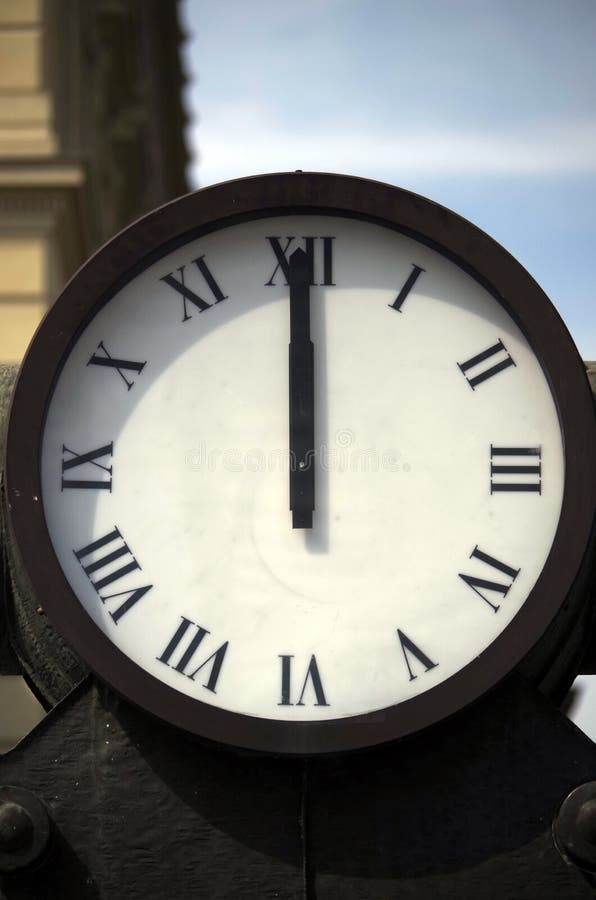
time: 11:59
